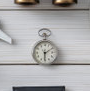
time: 6:08
